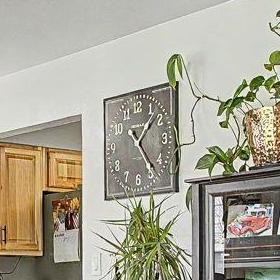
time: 1:23
